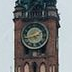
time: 1:42
